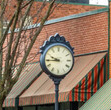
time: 9:44
